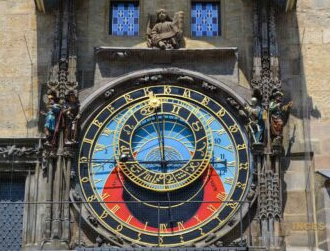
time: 5:58
